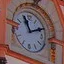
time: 11:11
